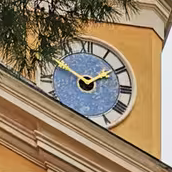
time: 1:50
